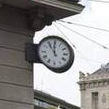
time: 10:59
